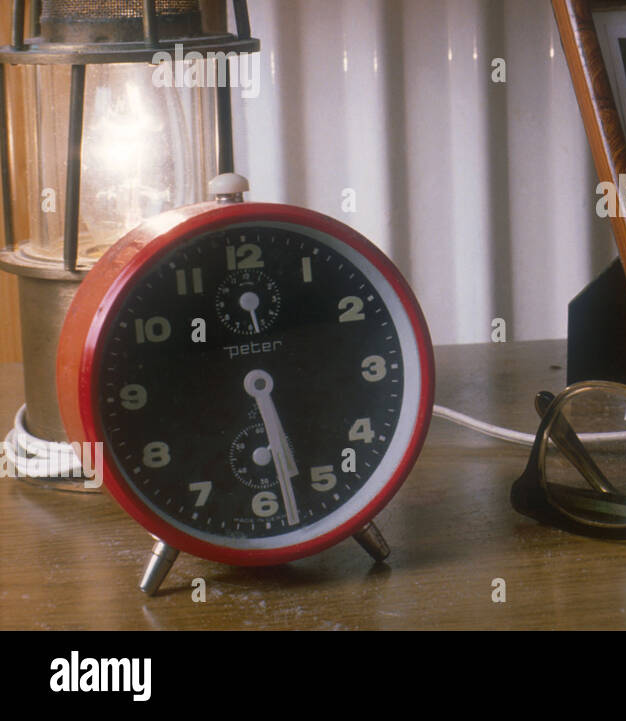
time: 5:28
